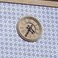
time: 4:34
